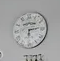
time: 6:13
